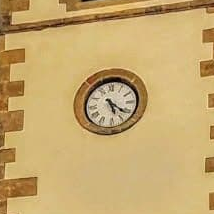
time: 5:21
